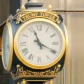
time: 11:19
